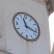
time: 11:17
